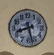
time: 8:27
